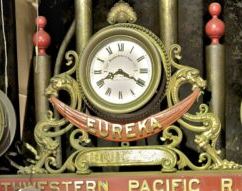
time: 8:19
